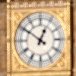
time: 12:50
